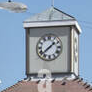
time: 1:38
